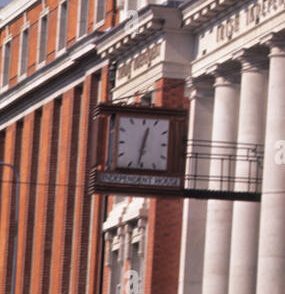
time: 12:32
